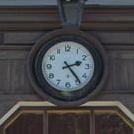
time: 2:23
